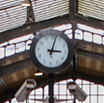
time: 3:02
